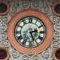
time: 2:26
